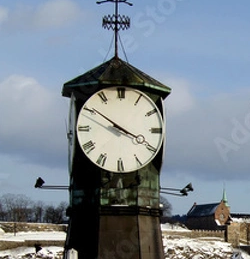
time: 3:50
